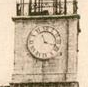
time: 11:17
